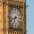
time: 6:42
